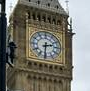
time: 2:31
